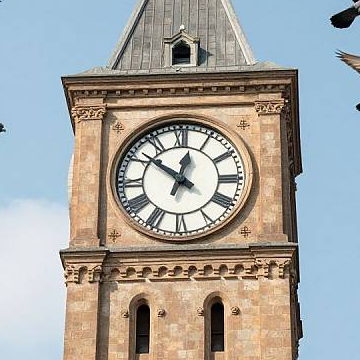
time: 12:51
